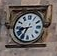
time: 8:35
